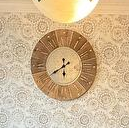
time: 5:40
